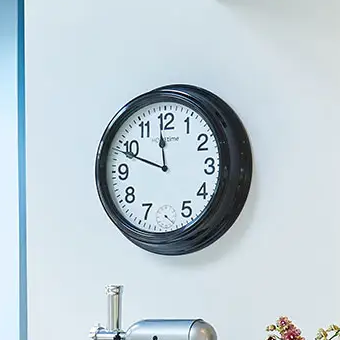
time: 11:48
